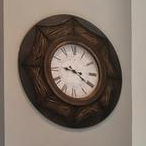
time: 9:20
